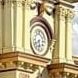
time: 5:40
